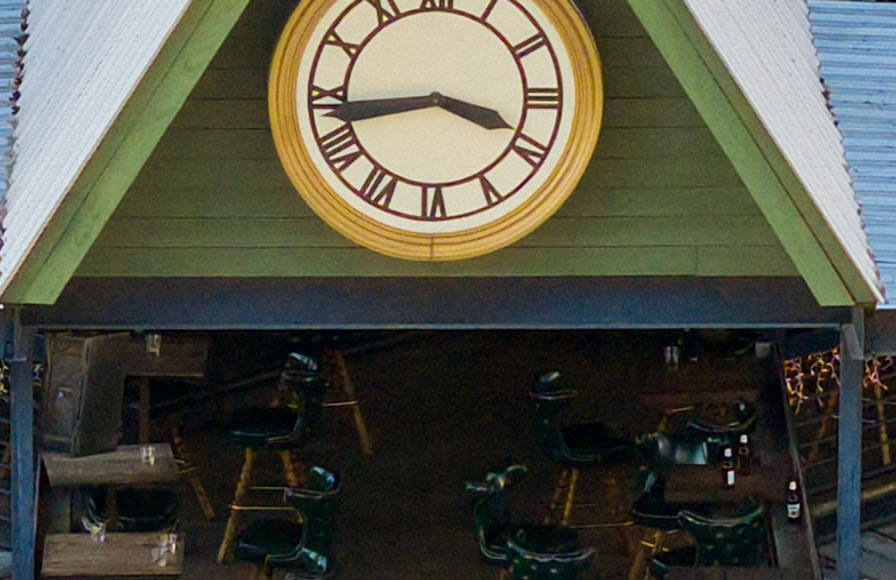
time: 3:43
